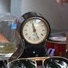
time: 11:25
